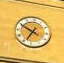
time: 6:49
